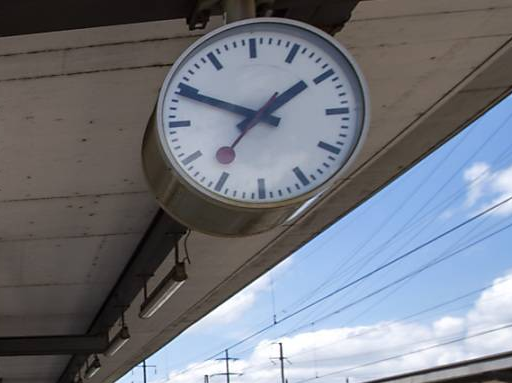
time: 1:49
